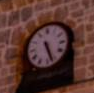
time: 5:26
